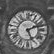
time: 5:11
